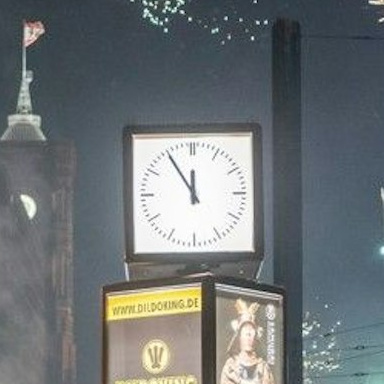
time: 11:54
